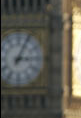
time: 3:04
